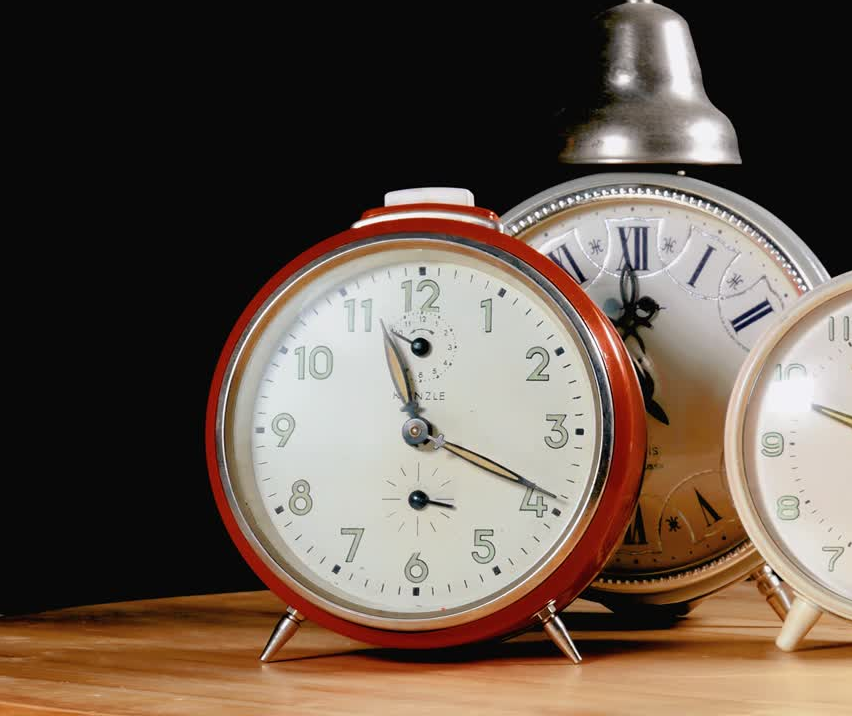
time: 11:19
